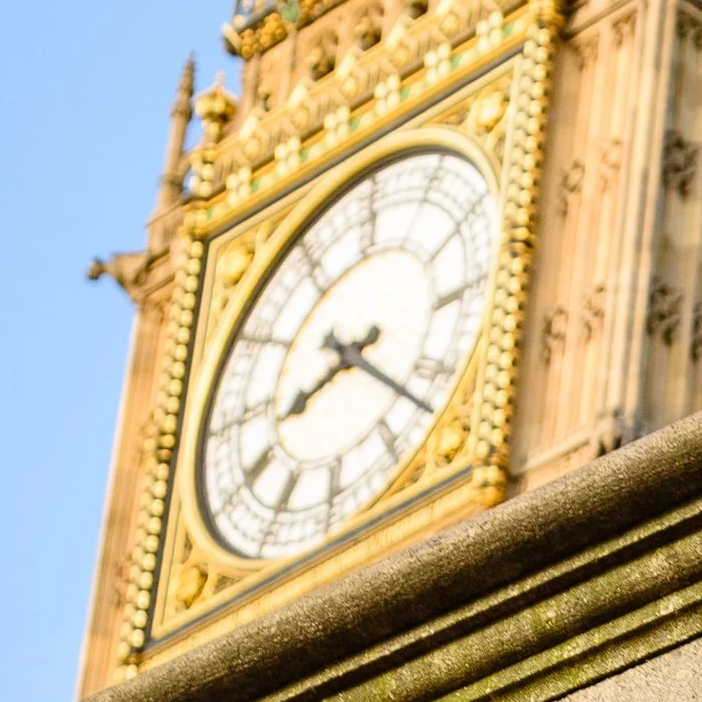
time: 8:21
